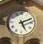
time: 5:11
